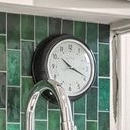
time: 10:18
